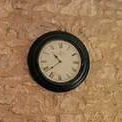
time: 10:38
